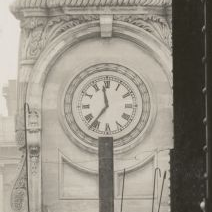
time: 11:36
